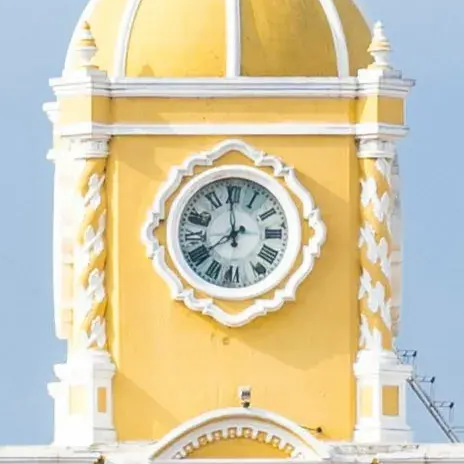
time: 7:59
